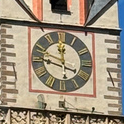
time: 11:48
